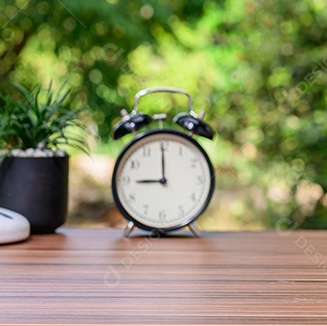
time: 9:00
